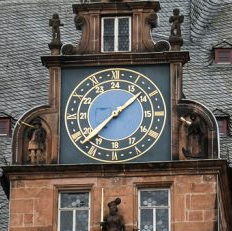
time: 1:37
